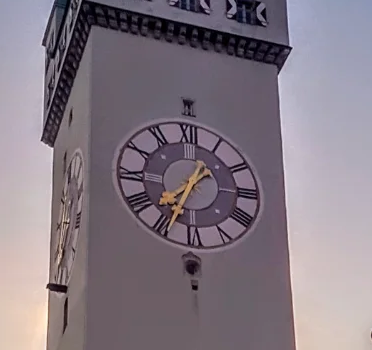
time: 7:34
